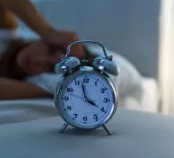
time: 3:57
